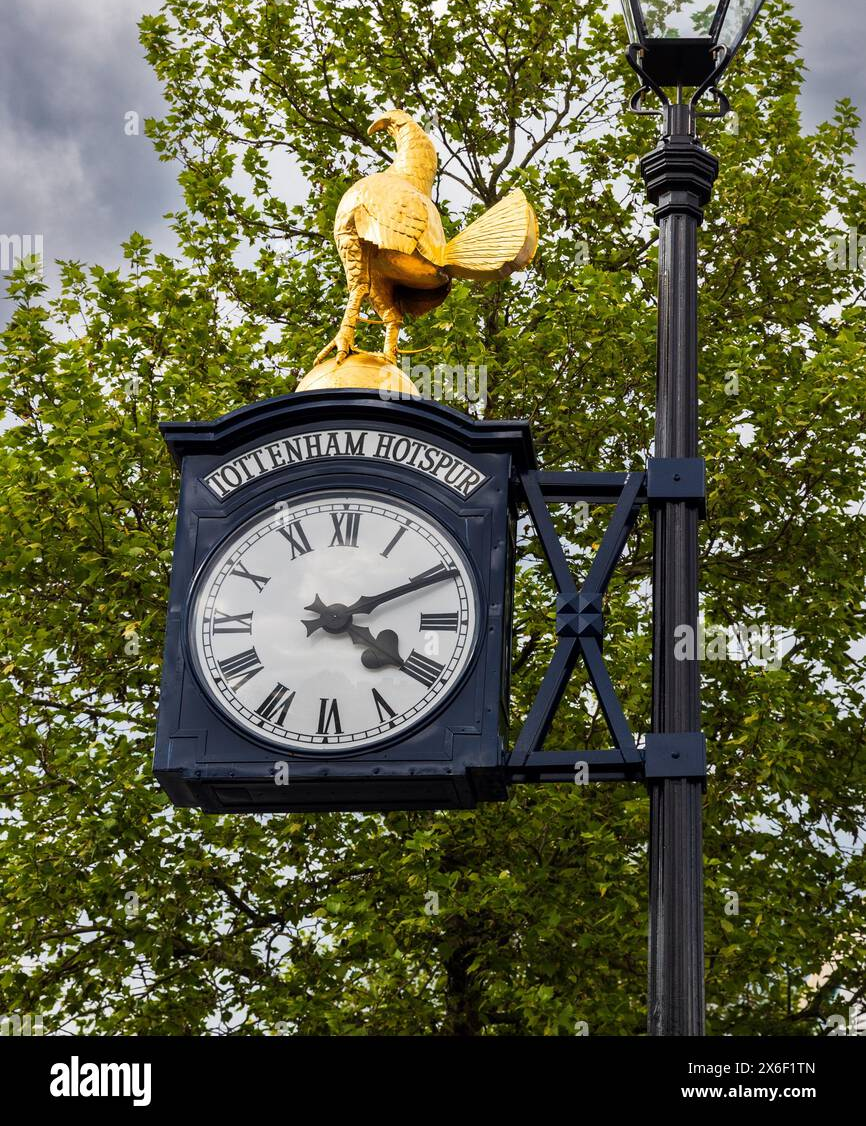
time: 4:10
